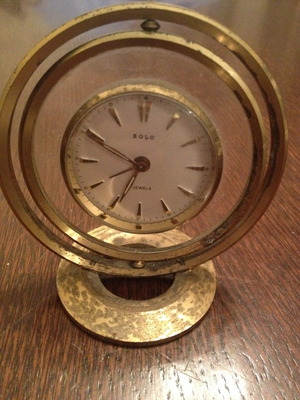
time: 6:49
